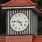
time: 4:46
